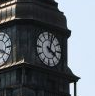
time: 4:02
